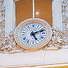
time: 5:11
